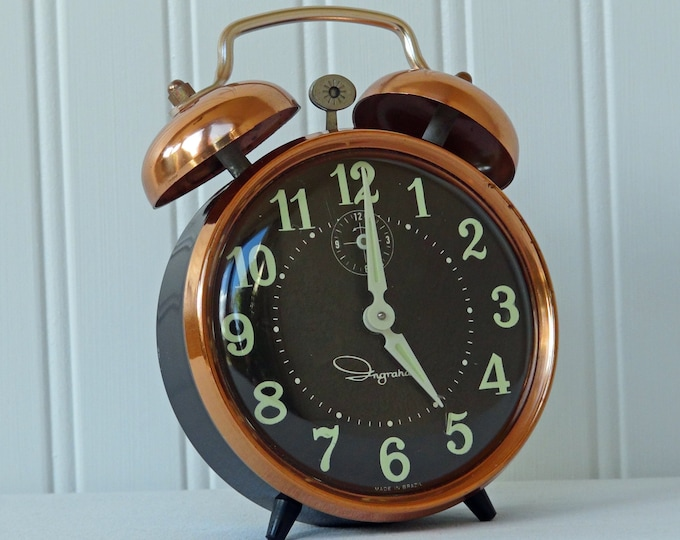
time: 5:00
